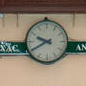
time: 9:40
